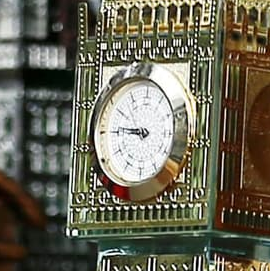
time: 8:45
